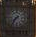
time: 7:36
